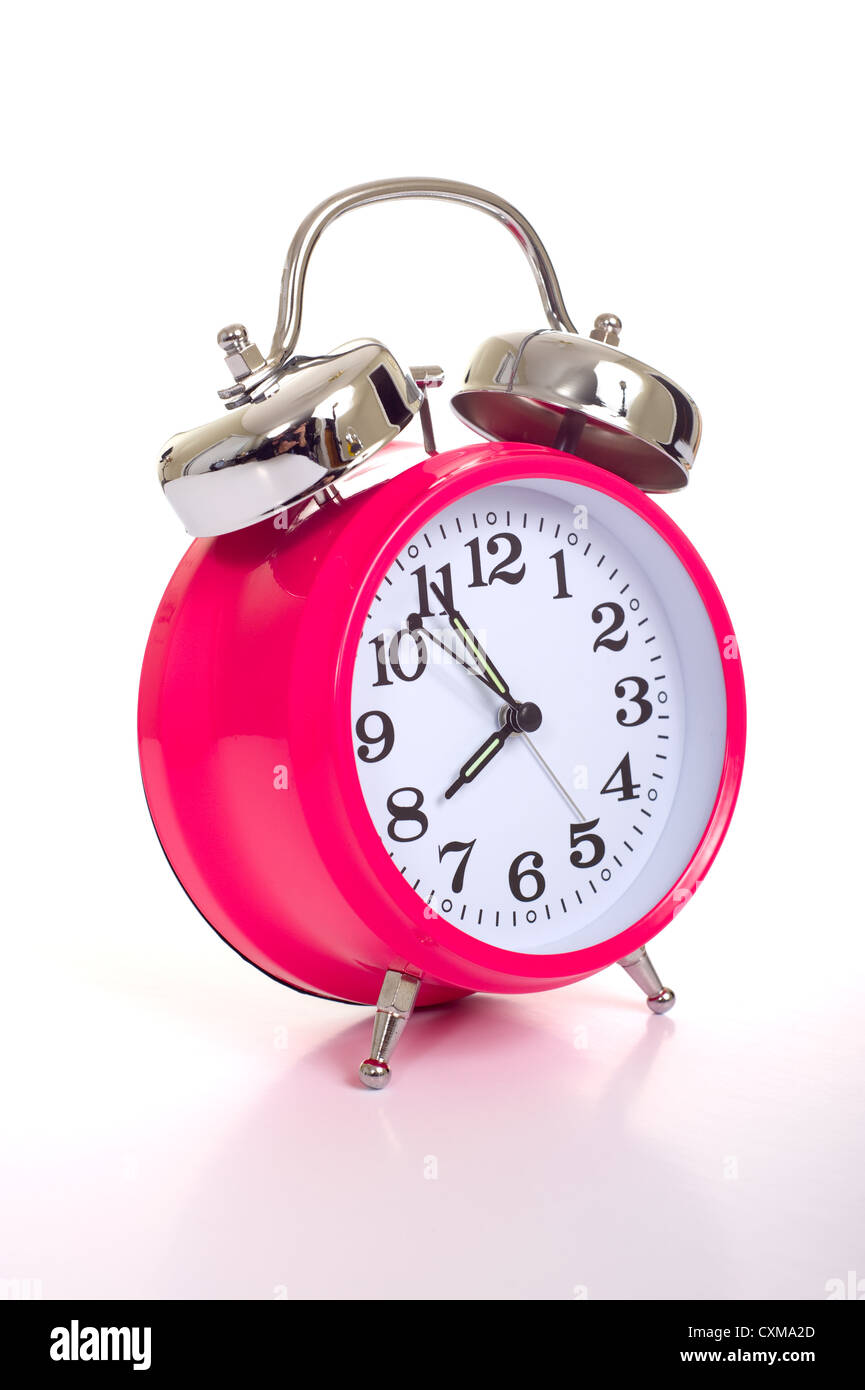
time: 7:54
